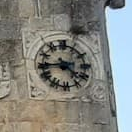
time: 4:44
